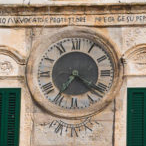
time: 4:20
